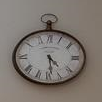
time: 4:28
